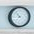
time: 10:36
